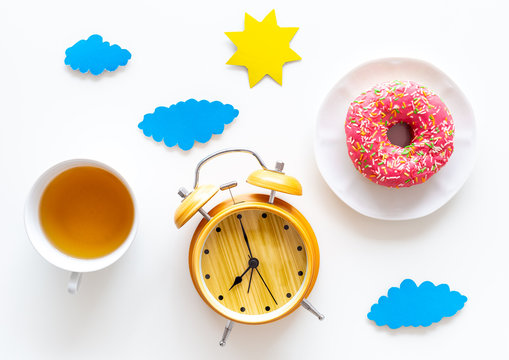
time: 8:00
